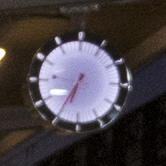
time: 6:35
